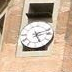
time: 5:11
